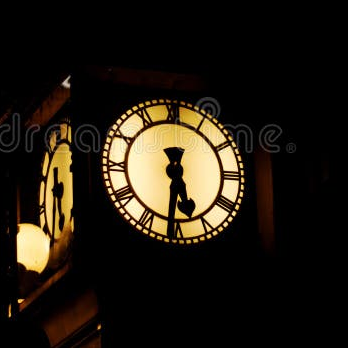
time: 5:31
